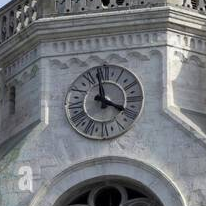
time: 3:58
